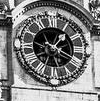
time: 1:19
